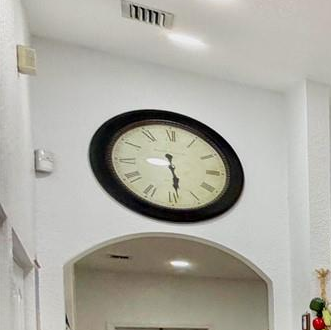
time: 5:28
